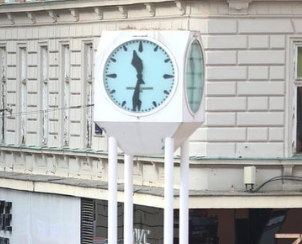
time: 11:31
